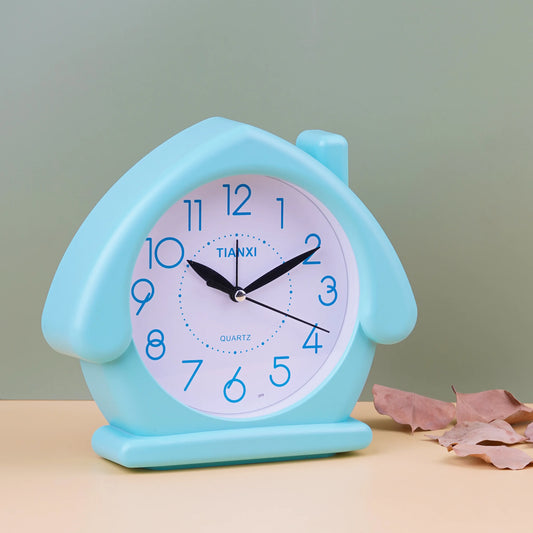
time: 10:10
